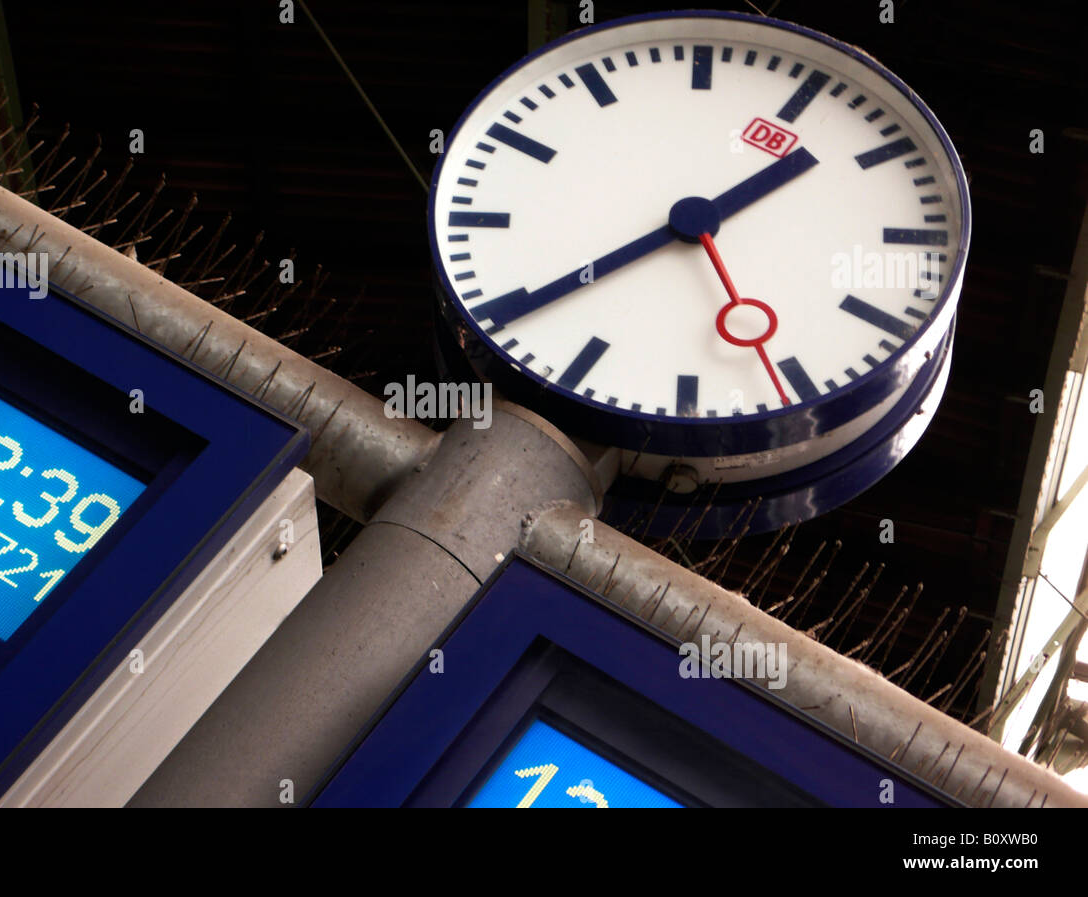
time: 1:39
